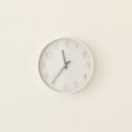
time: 11:36
